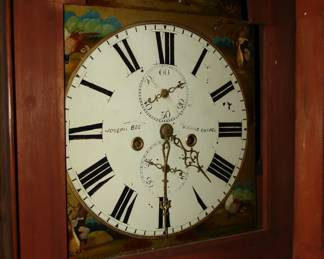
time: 4:29
